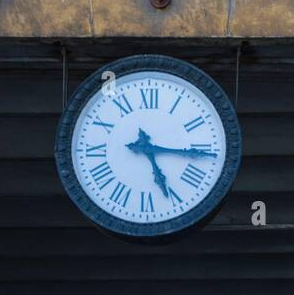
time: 5:15
